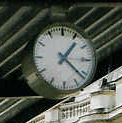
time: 1:21
